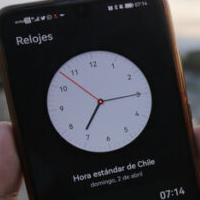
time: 7:15
